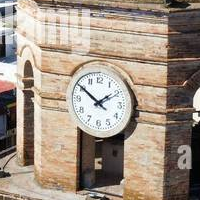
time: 1:50
